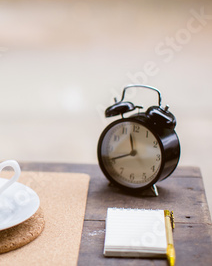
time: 11:41
